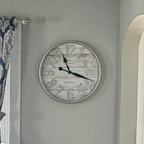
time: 11:18
